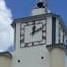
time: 12:11
